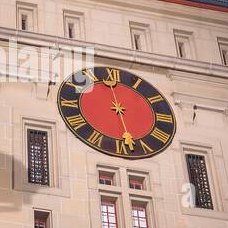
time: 11:28
